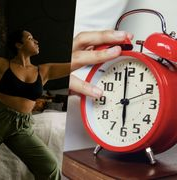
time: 5:59
